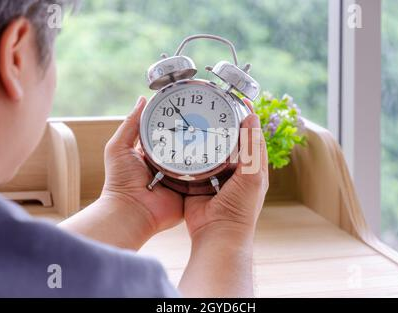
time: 8:52
